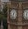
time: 6:32
